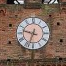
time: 9:33
